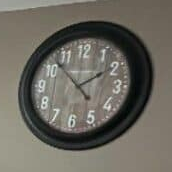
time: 1:52
